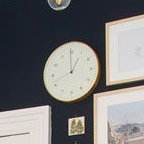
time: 12:59
